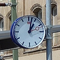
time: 1:02
